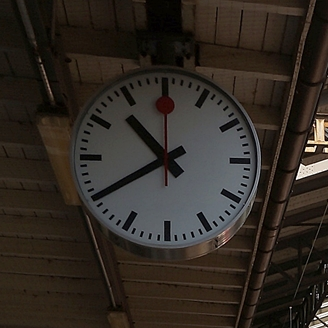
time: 10:39
